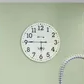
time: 5:45
